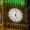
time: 5:03
